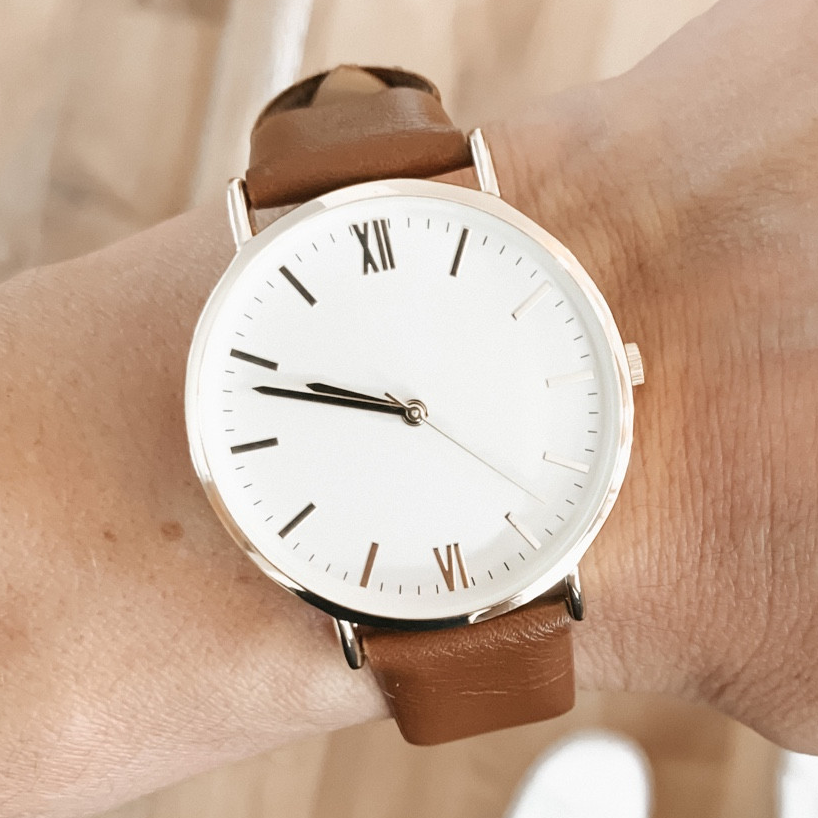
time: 9:48
